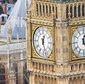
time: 12:27
